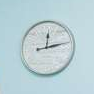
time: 12:13
